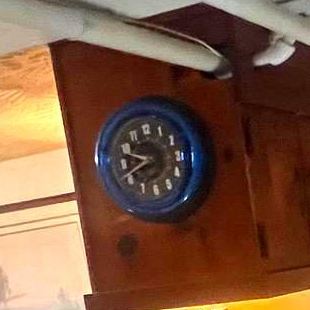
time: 9:41
